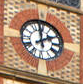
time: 1:59
